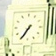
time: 7:35
